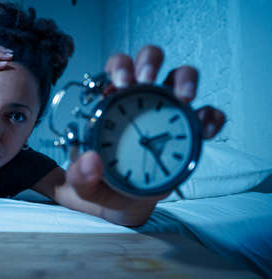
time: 2:24
